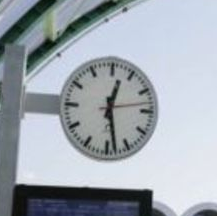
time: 12:28
